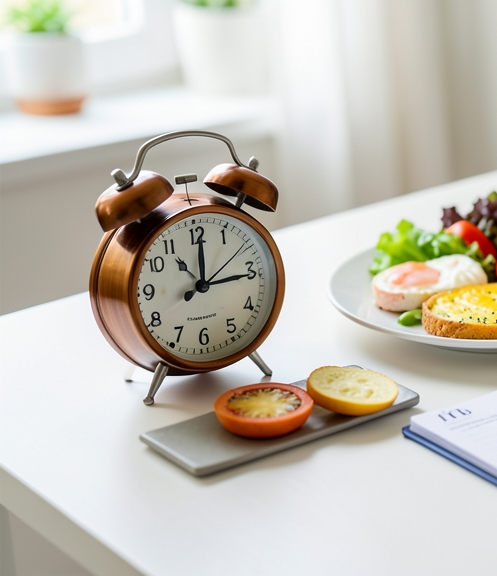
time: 12:13
